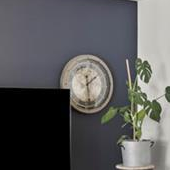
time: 1:28
